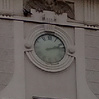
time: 2:12
